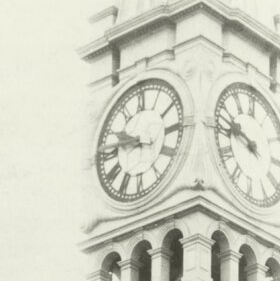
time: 9:45
